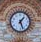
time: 1:26
